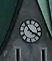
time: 3:53
